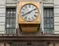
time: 8:09
